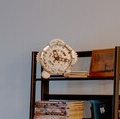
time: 7:17
